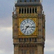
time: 7:15
